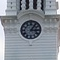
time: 3:05
